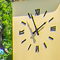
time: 1:56
